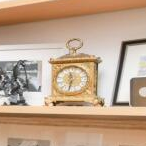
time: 11:32
